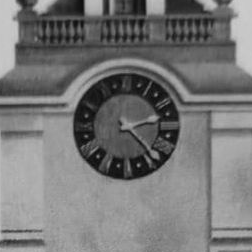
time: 2:22
